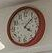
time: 4:07
